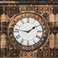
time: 1:46
